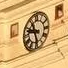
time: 9:28
